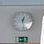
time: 12:28
